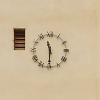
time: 11:30
